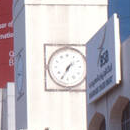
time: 1:35
